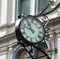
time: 10:47
